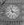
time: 11:17
